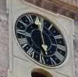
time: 5:59
